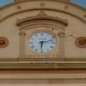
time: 6:12
